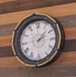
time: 2:07
